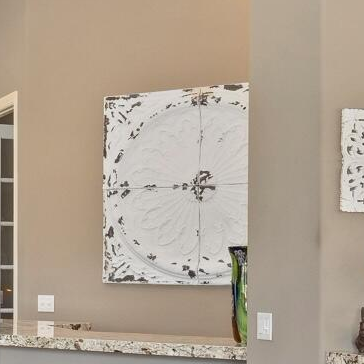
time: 8:44
